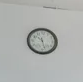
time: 10:27
